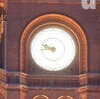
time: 9:43
